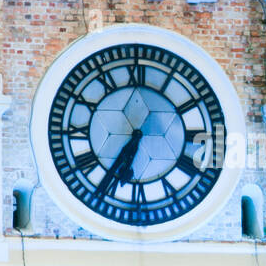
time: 6:35
